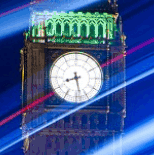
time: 8:28
